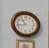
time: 10:42
